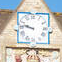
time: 9:47
